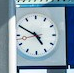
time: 4:49
